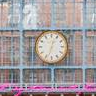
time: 12:33
